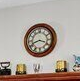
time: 3:41
